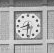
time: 8:30
